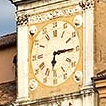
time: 6:14
